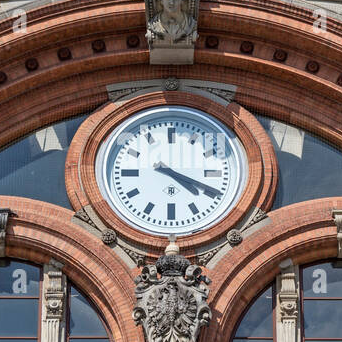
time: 4:19
